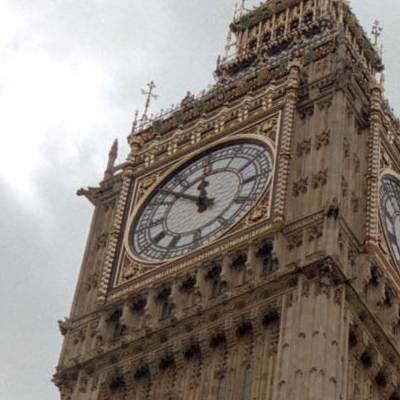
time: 11:51
